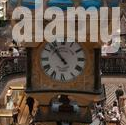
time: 10:53
